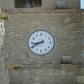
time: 8:40
